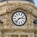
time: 2:37
